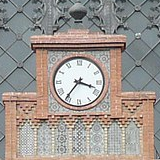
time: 3:36
